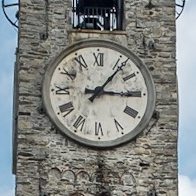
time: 3:06
